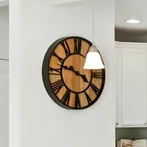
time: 3:47
